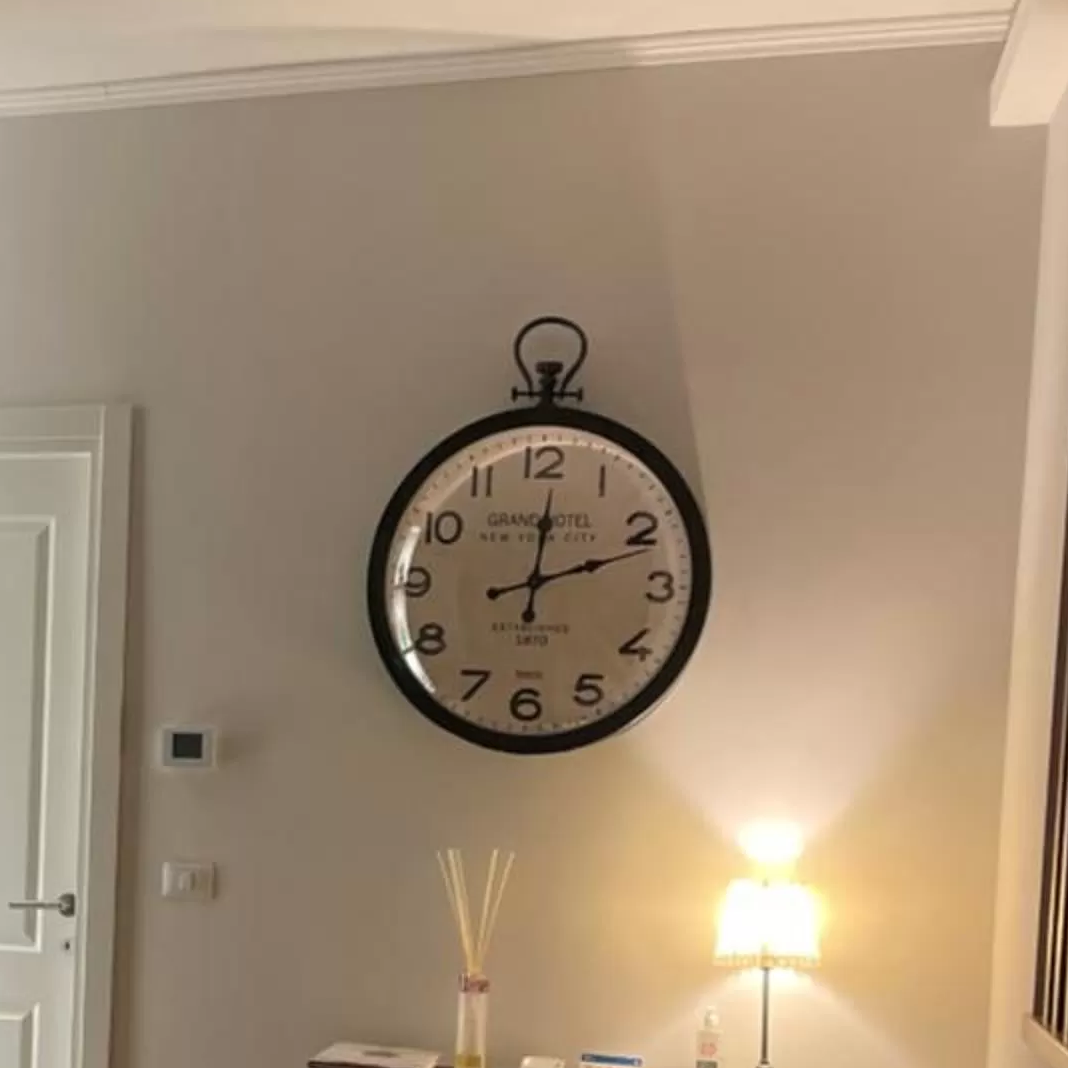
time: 12:11
